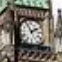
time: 1:56
